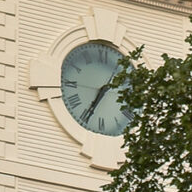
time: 1:34
